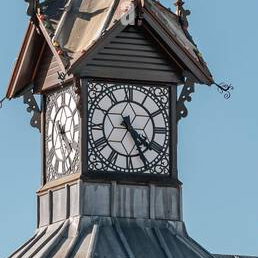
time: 4:25
